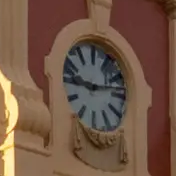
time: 9:13
